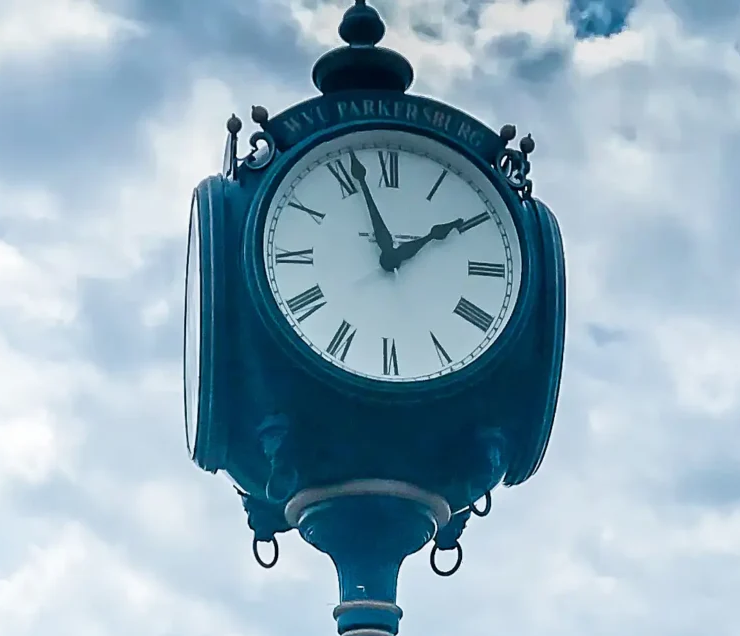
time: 1:56
